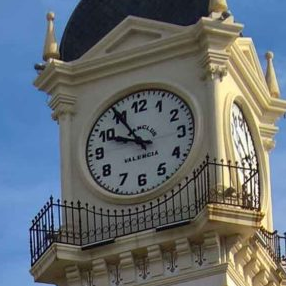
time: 9:54
